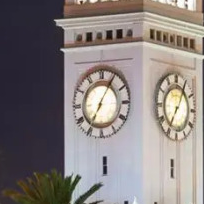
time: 7:05
